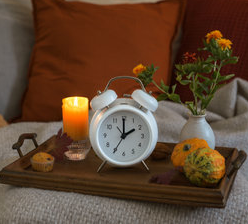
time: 2:00
